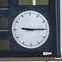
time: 9:15
